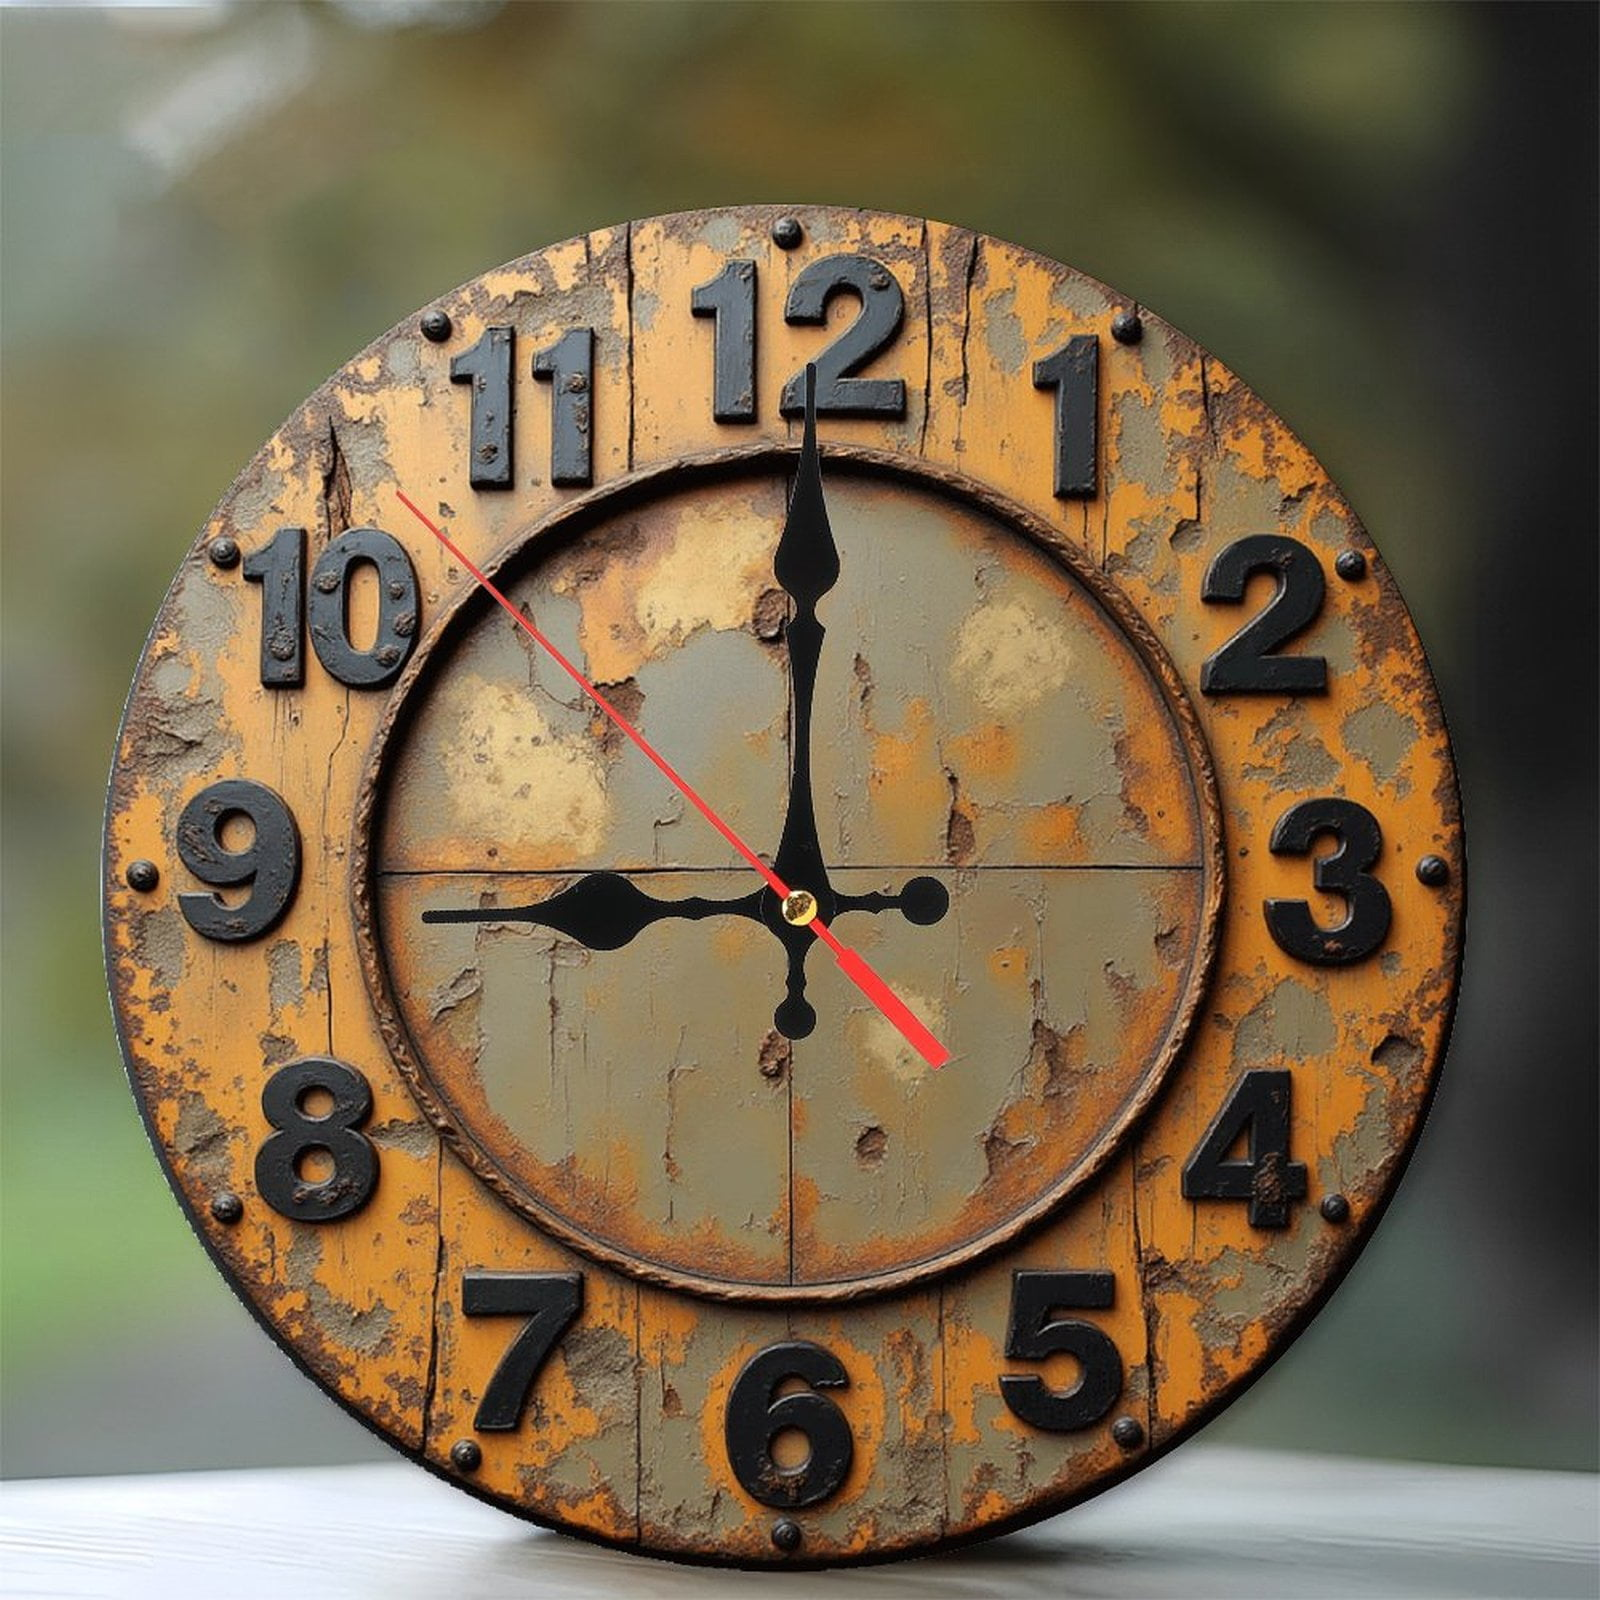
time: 8:59
